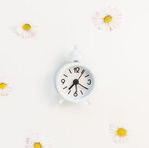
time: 7:20
